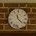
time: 11:22
